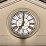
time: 7:00
